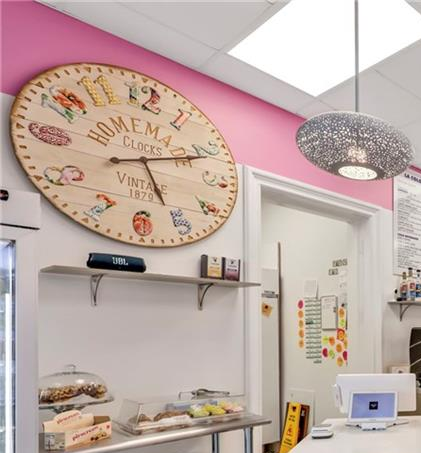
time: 5:11
